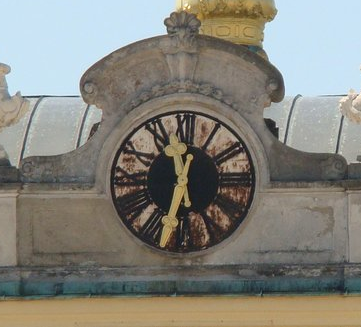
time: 11:32
